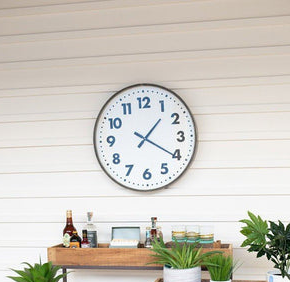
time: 1:20
